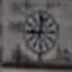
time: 9:01
